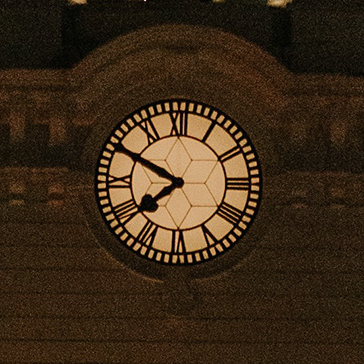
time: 7:49
